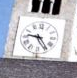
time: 9:23
